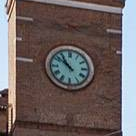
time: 10:51
